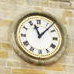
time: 11:07
